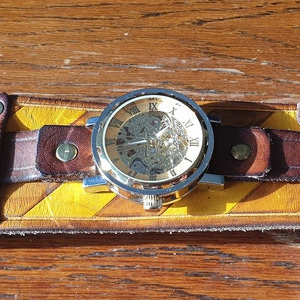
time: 1:43
